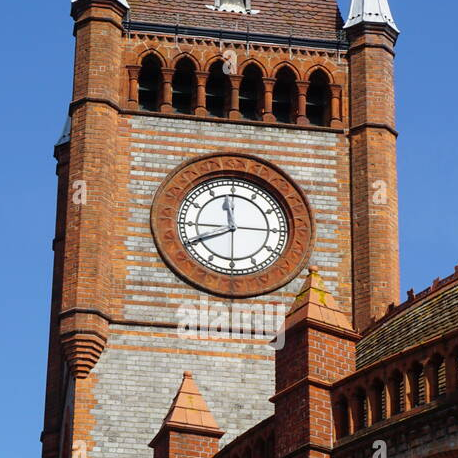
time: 11:40
